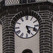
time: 5:18
